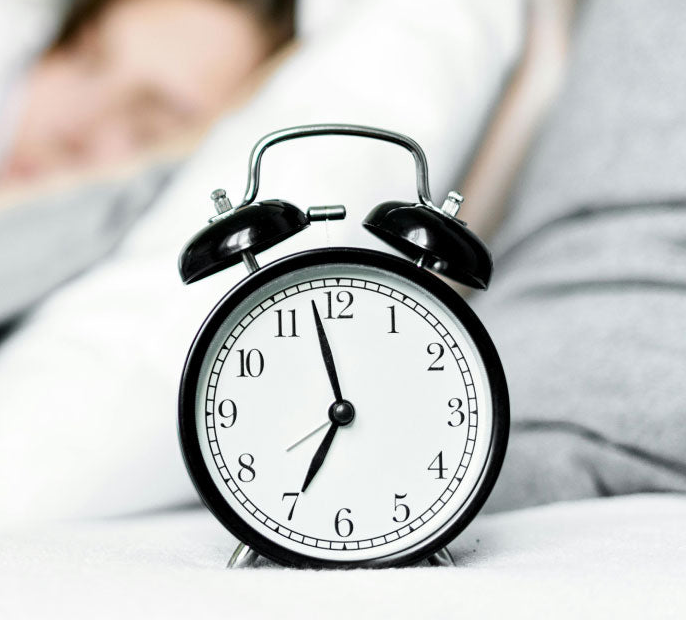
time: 6:58
